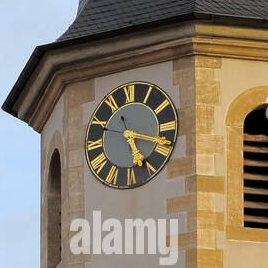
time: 5:18
